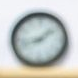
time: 1:42
